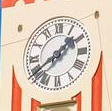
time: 1:39
